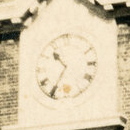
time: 10:35
